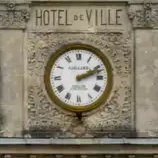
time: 2:11
